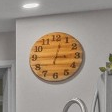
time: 3:02
